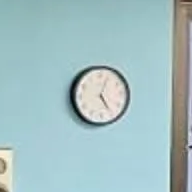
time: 5:04
